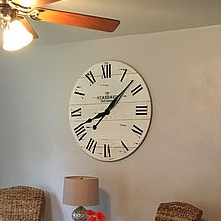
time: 8:07
